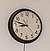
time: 8:47
